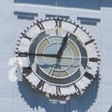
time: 12:45
